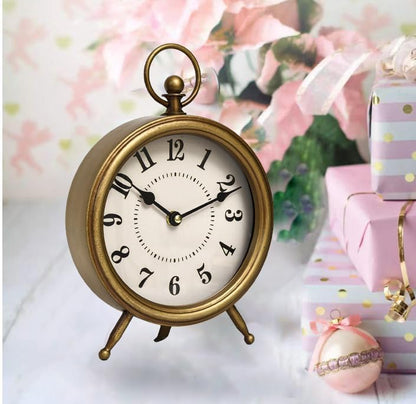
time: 10:11
